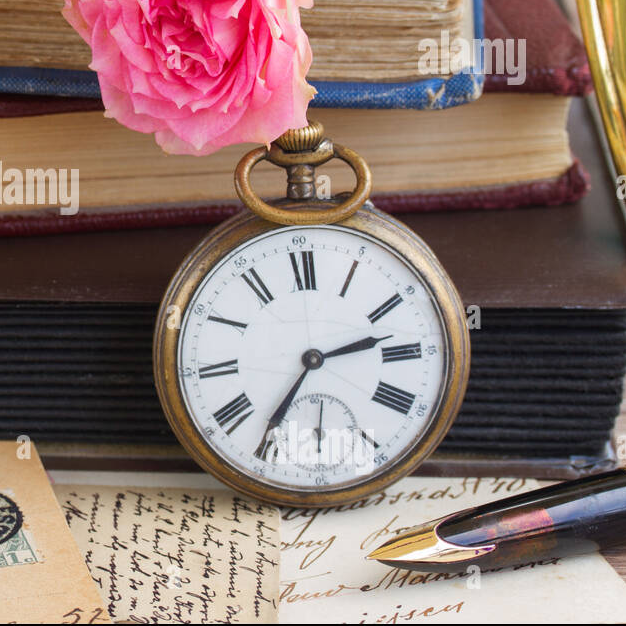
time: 2:35
